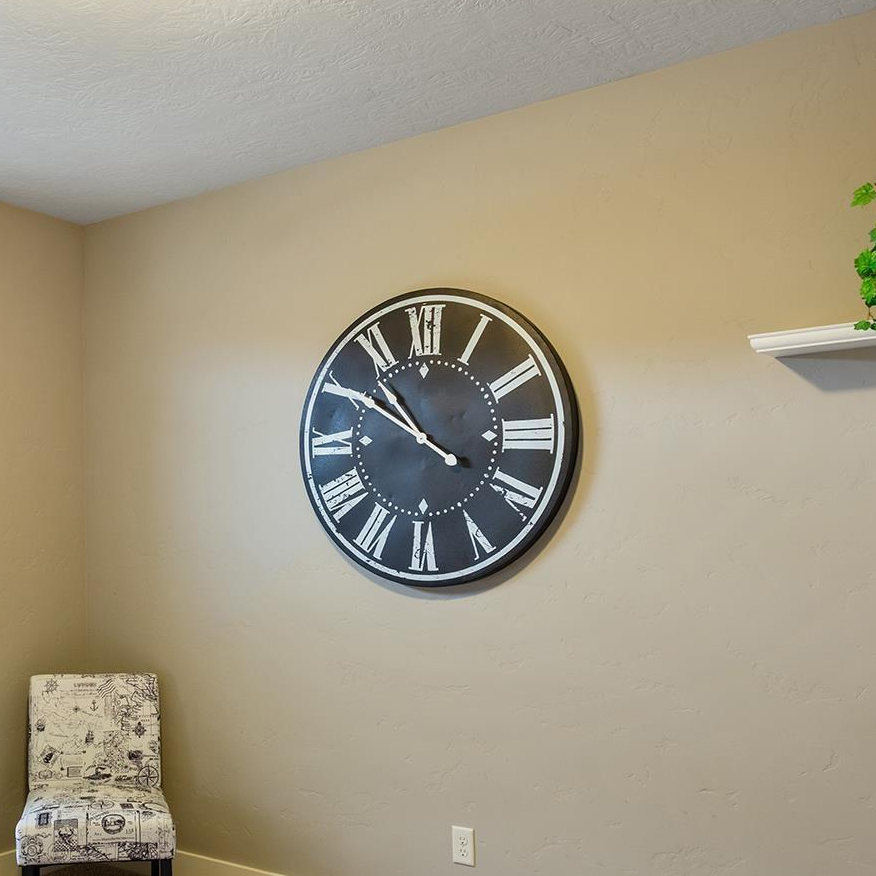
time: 10:50
